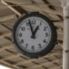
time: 12:57
